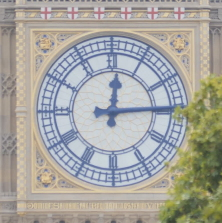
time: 12:14
